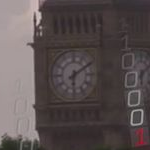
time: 6:10
